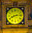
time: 8:14
